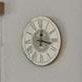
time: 12:17
